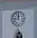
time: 11:44
